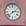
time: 2:37
